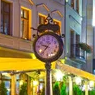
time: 9:36
